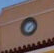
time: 7:07
